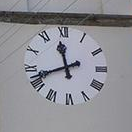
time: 11:42
